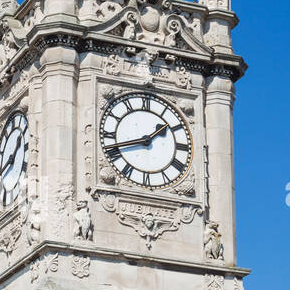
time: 1:41
